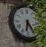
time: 6:25
